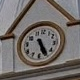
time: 5:24
